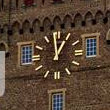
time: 12:59
